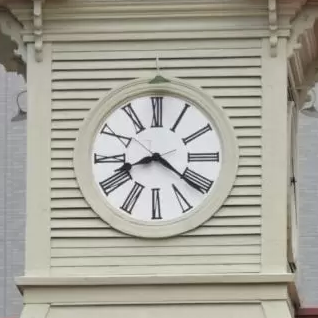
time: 8:21
